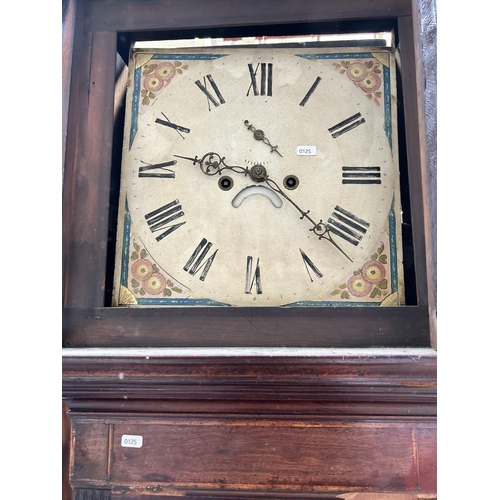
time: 9:21
